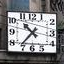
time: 10:36
